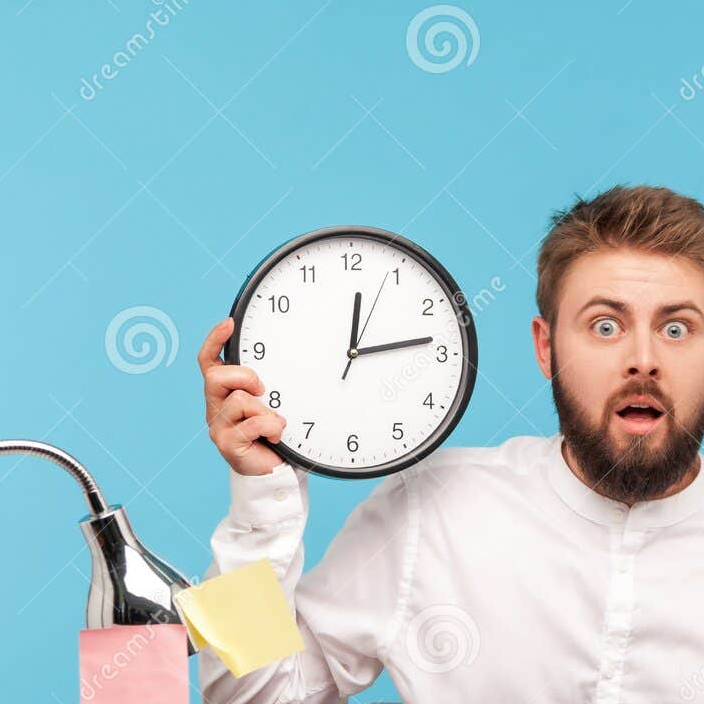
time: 12:13
